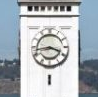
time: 3:43
